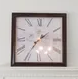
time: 1:36
